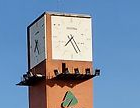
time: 7:24
